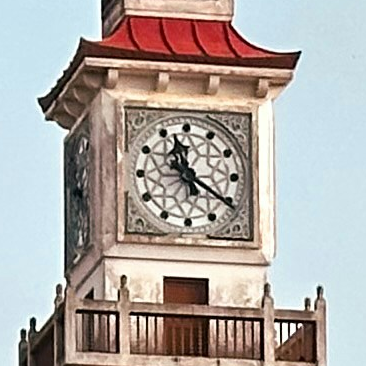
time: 11:20
